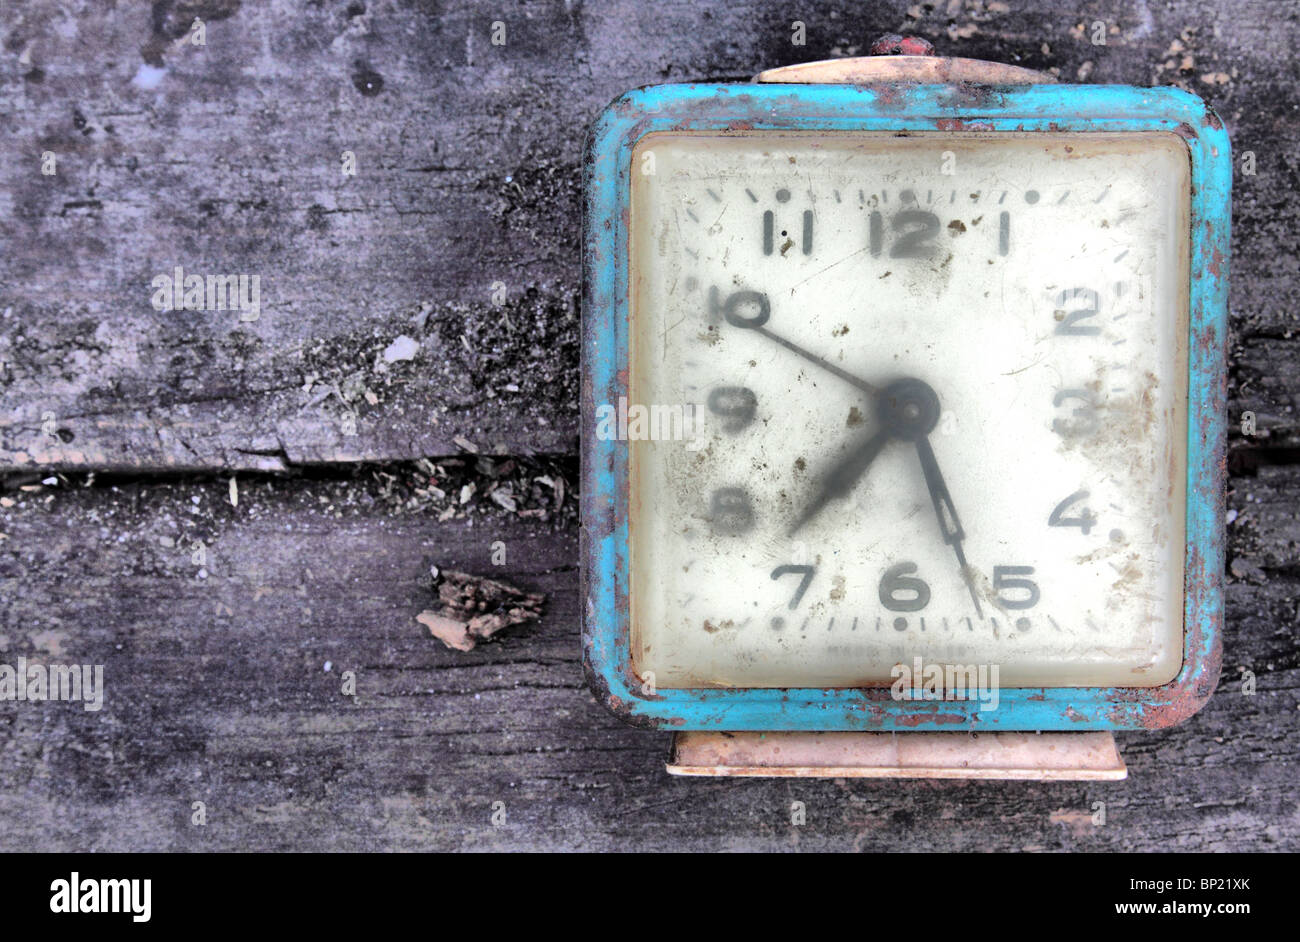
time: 7:26
